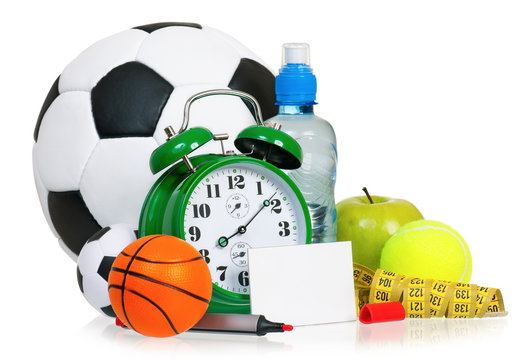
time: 8:08
